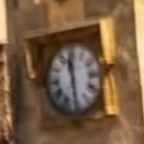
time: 11:28
